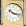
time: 10:17
